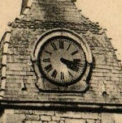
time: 4:17
